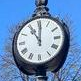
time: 11:00
